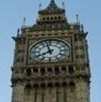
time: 7:57
